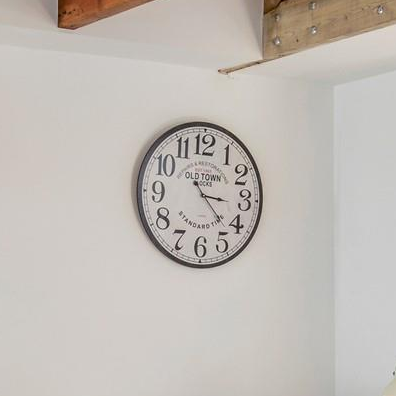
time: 3:22
